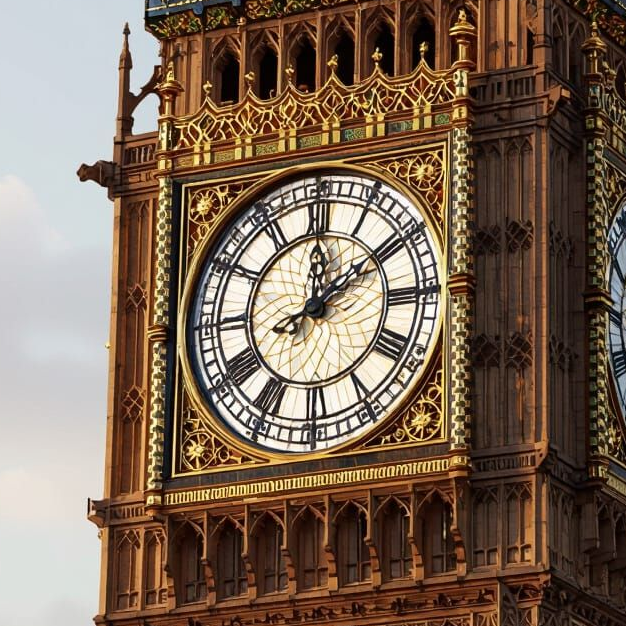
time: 12:09
